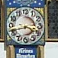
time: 3:42
